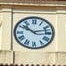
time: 10:12
